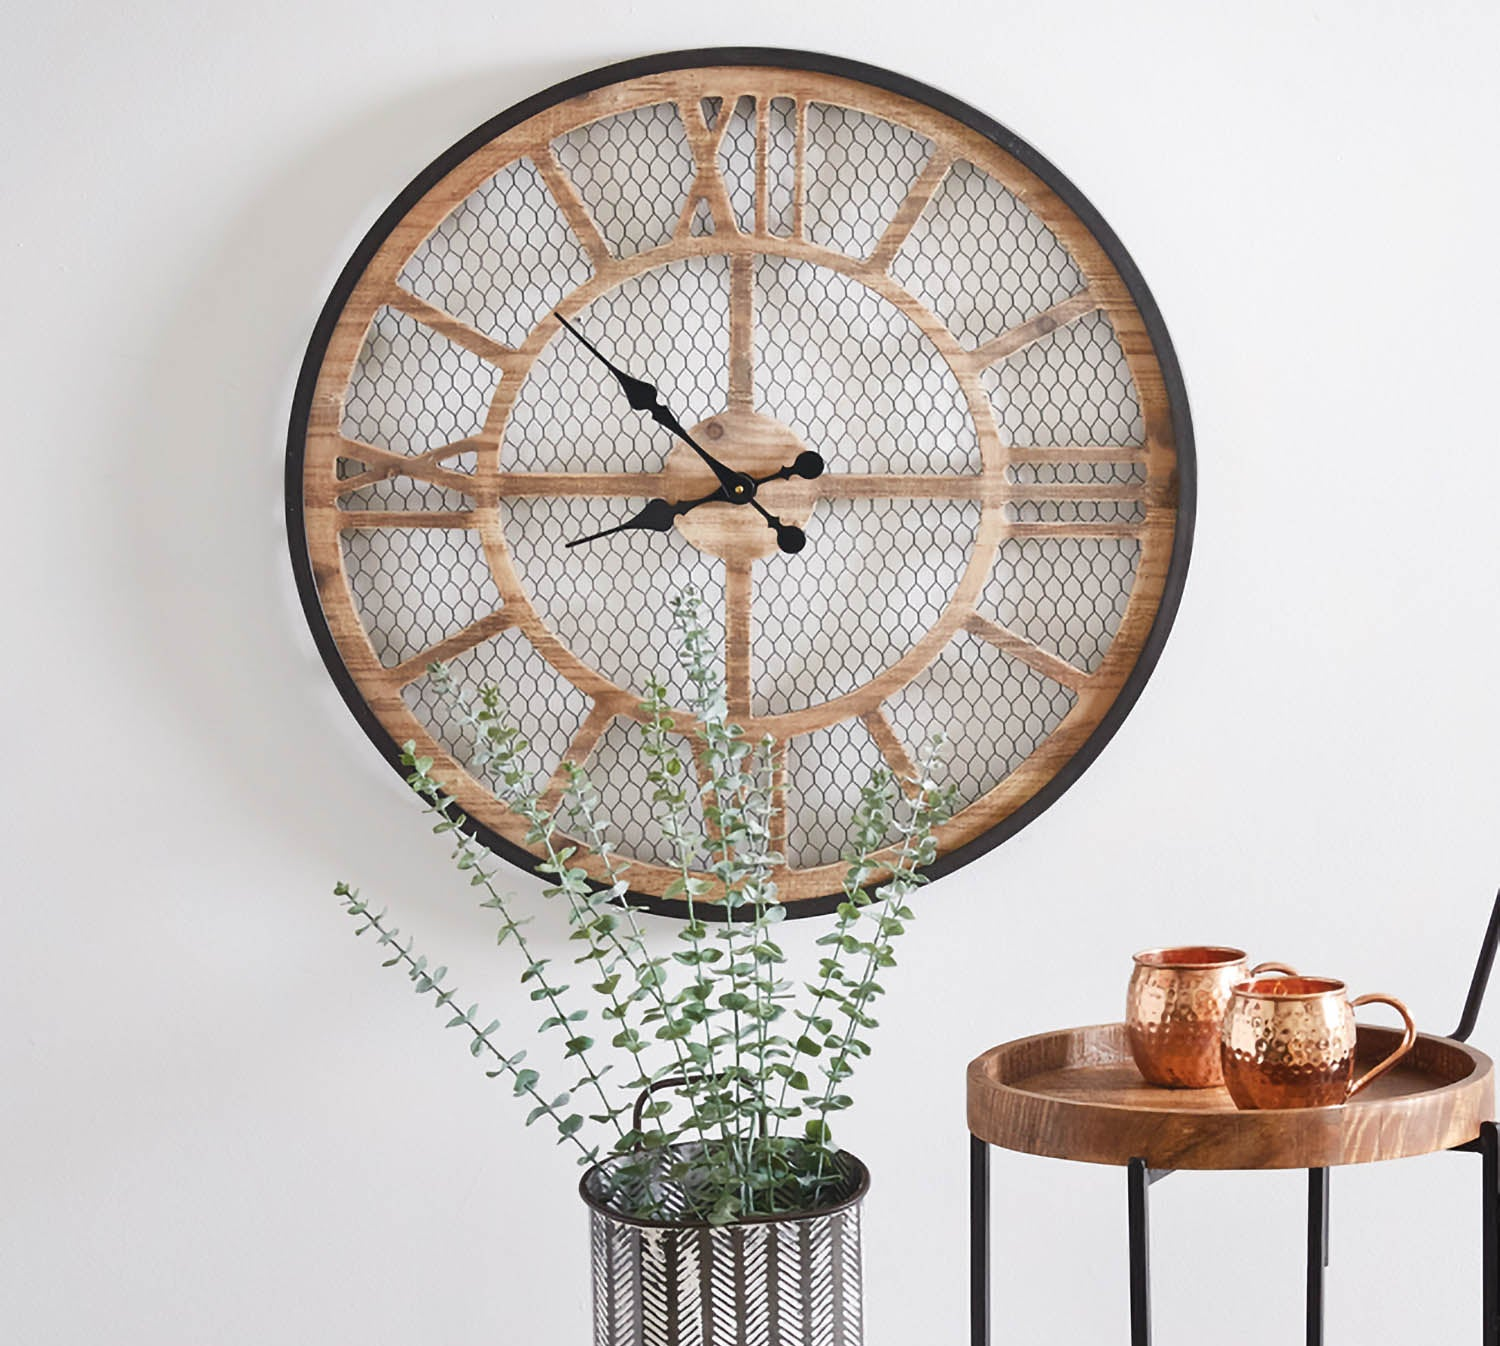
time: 8:52
